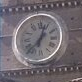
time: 12:37
